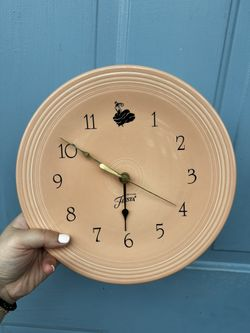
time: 5:50
